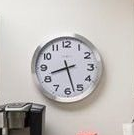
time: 8:27
